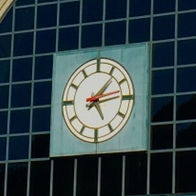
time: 1:13
